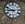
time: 8:48
